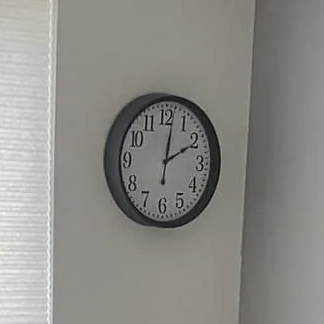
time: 2:01
